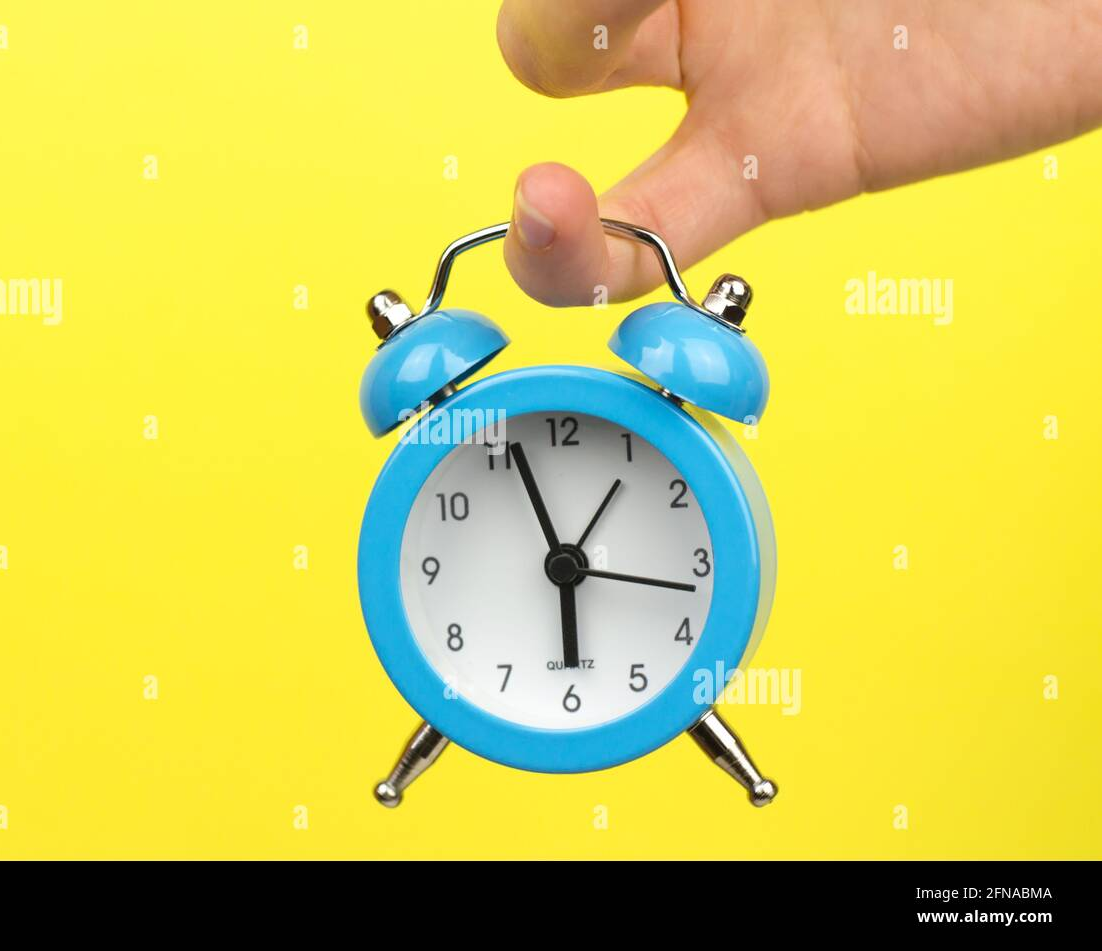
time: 5:56
